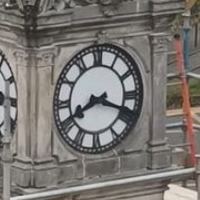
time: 8:18
